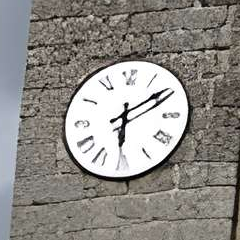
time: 6:09
